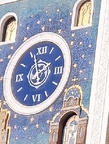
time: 1:56
